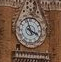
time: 3:57
